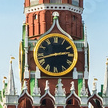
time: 2:42
